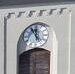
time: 11:54
